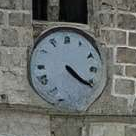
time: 4:21
